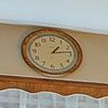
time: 1:13
